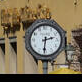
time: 2:31
